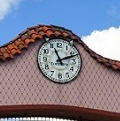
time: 11:11
